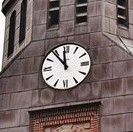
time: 11:53
